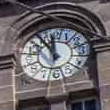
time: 11:53
